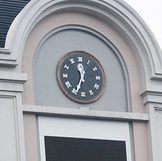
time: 11:34
